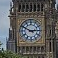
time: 2:49
